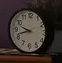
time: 9:42
